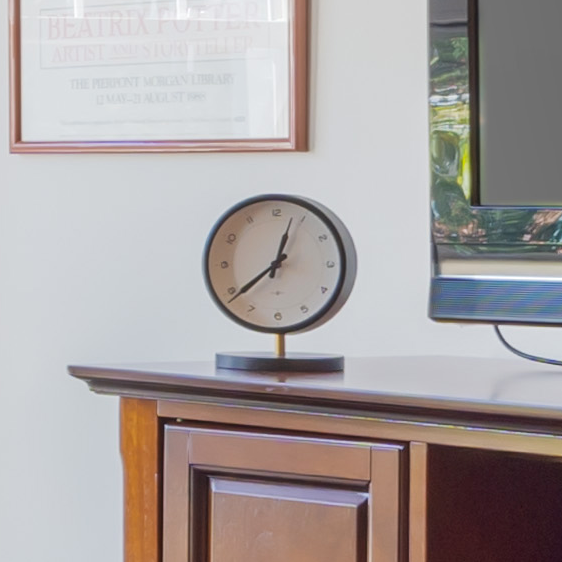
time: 12:38
